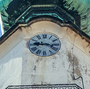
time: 9:17
